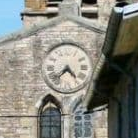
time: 4:37
